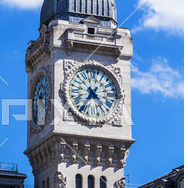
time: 4:35
